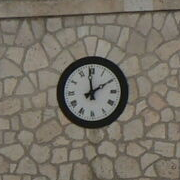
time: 1:59
